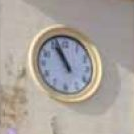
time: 10:56
